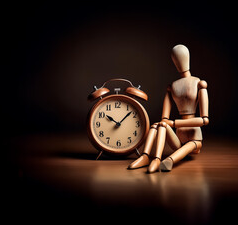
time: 10:07
